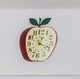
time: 12:18
